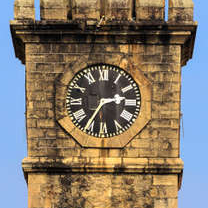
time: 2:35
